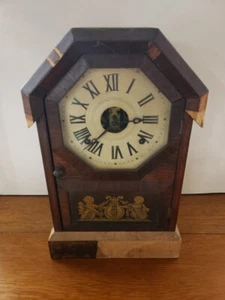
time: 7:14
